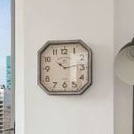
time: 10:13
